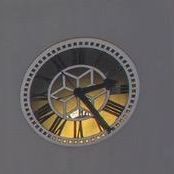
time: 2:24
